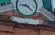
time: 9:22
